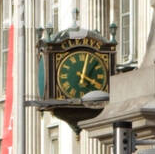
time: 4:02
